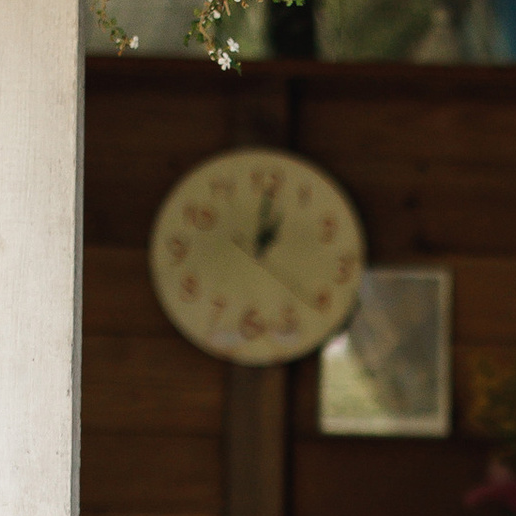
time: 1:01
